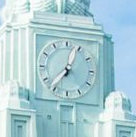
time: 12:36
